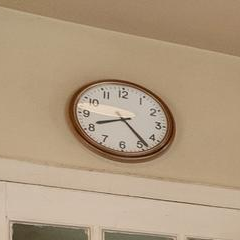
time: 8:23
